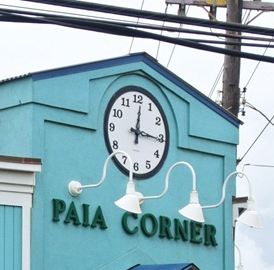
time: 12:15
